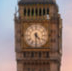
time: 4:30
